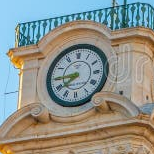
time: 7:44
